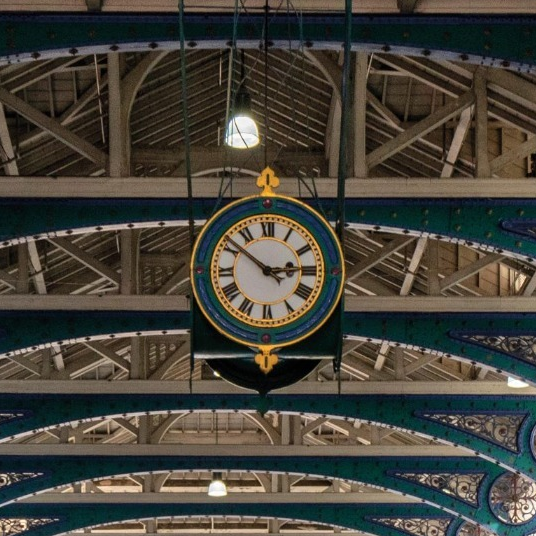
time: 2:51
